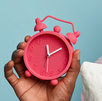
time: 12:10
